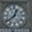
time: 12:38
